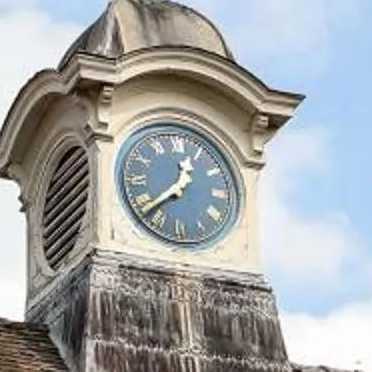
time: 12:38
